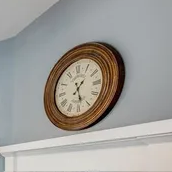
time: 1:28
